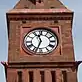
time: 11:33
